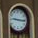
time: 9:15
